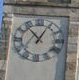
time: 12:53
